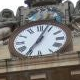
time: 7:03
